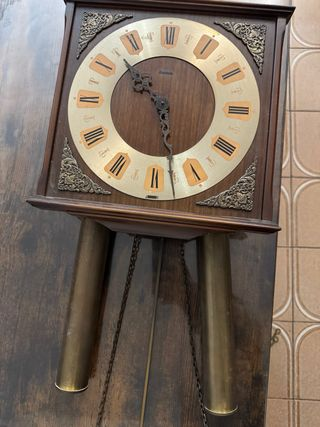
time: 10:27
